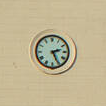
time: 2:25
